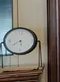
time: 5:38
